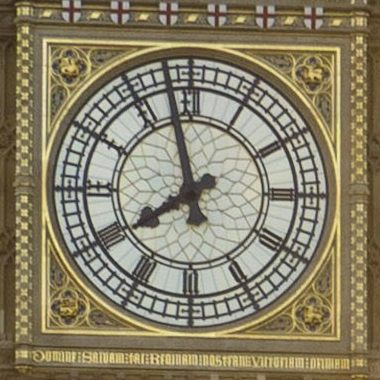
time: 7:57
